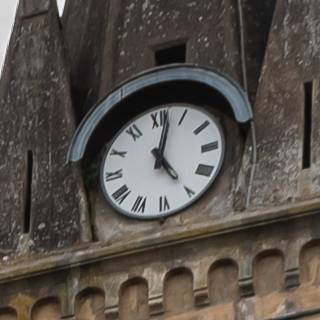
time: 5:02
